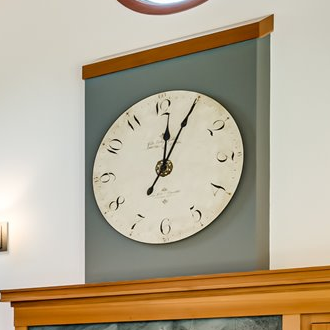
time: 12:04
